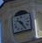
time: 10:25
